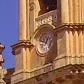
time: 12:47
